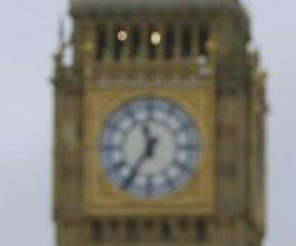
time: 11:35
